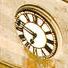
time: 6:47
